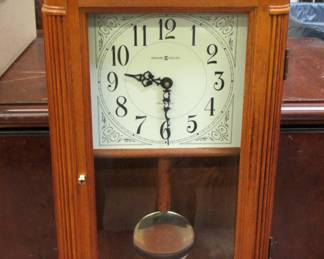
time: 9:29
